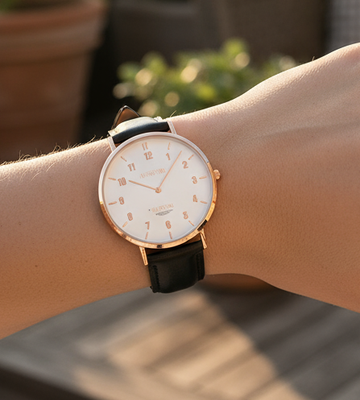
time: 10:07
